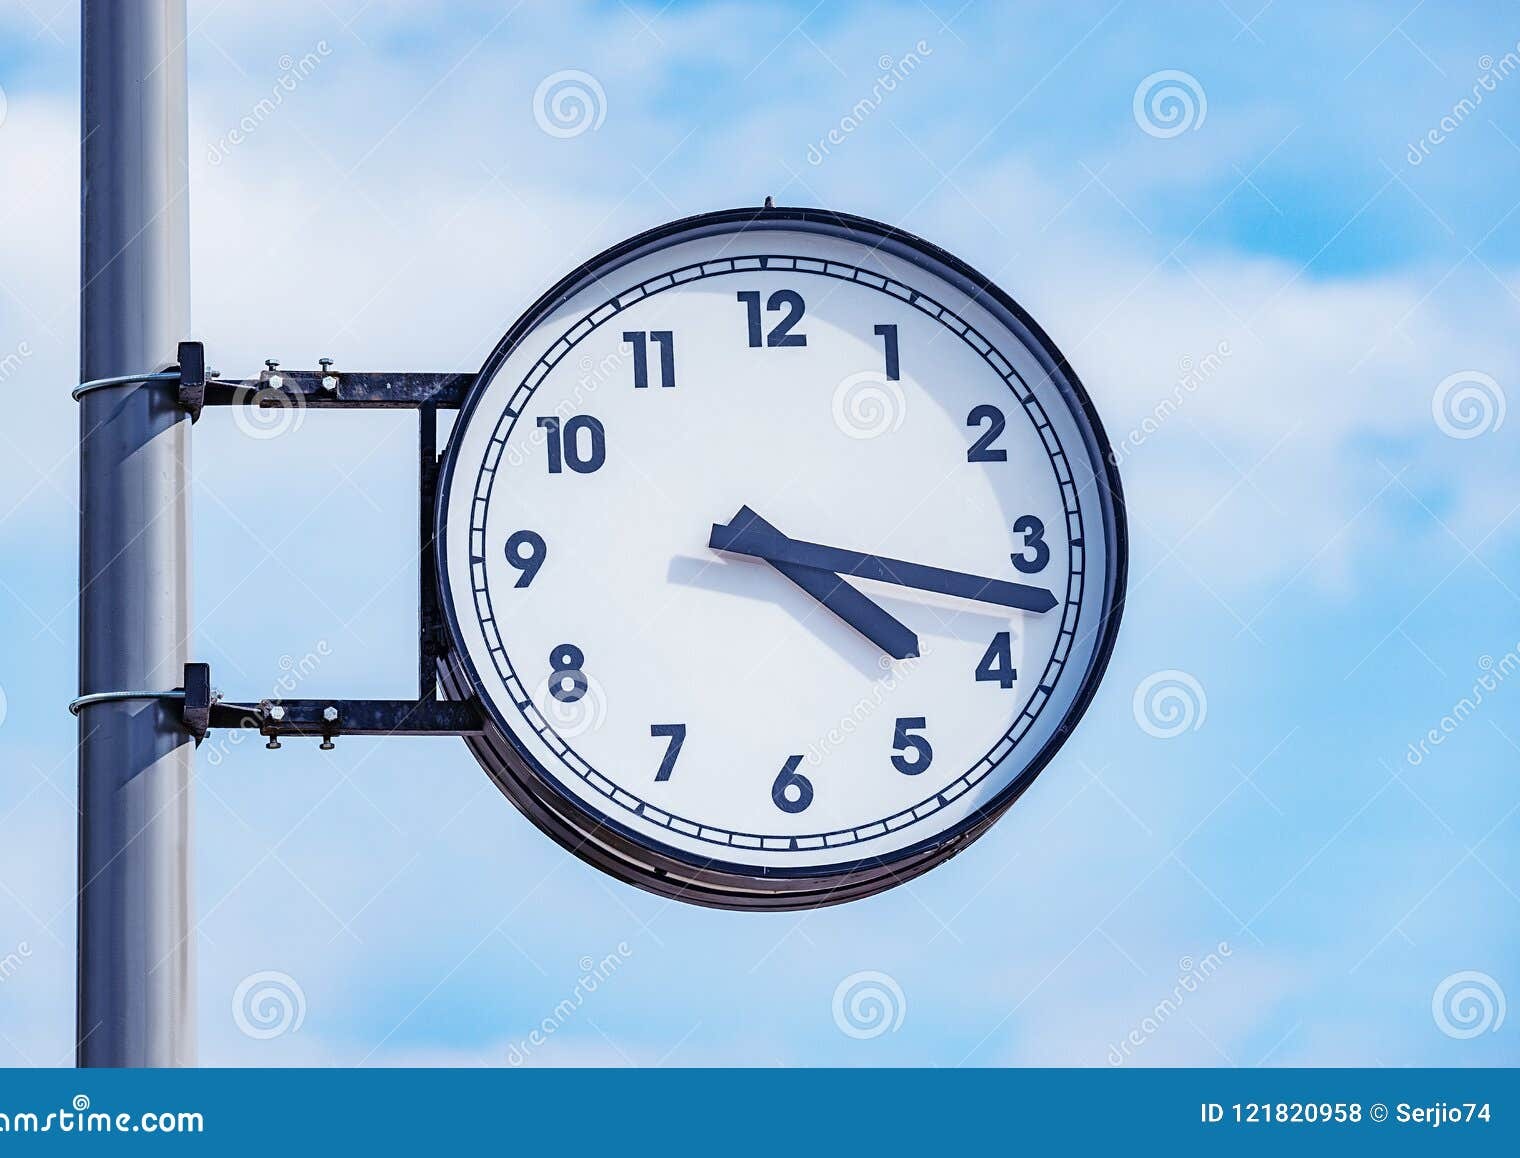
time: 4:17
